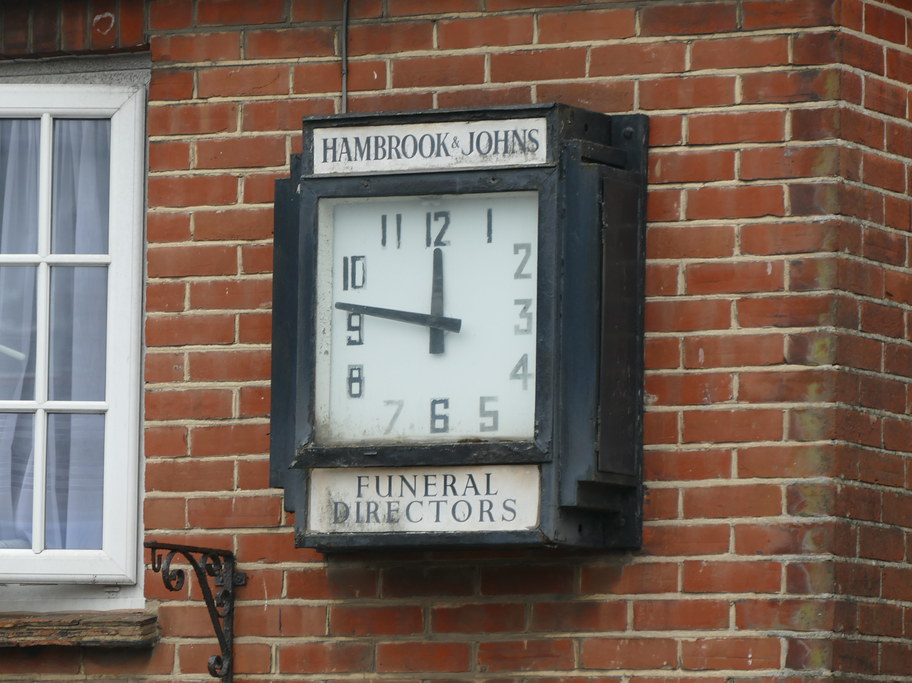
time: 11:46
